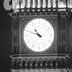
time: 10:48
